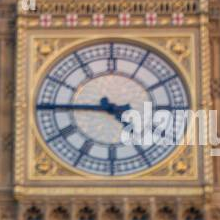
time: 4:44
